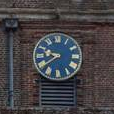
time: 9:39
